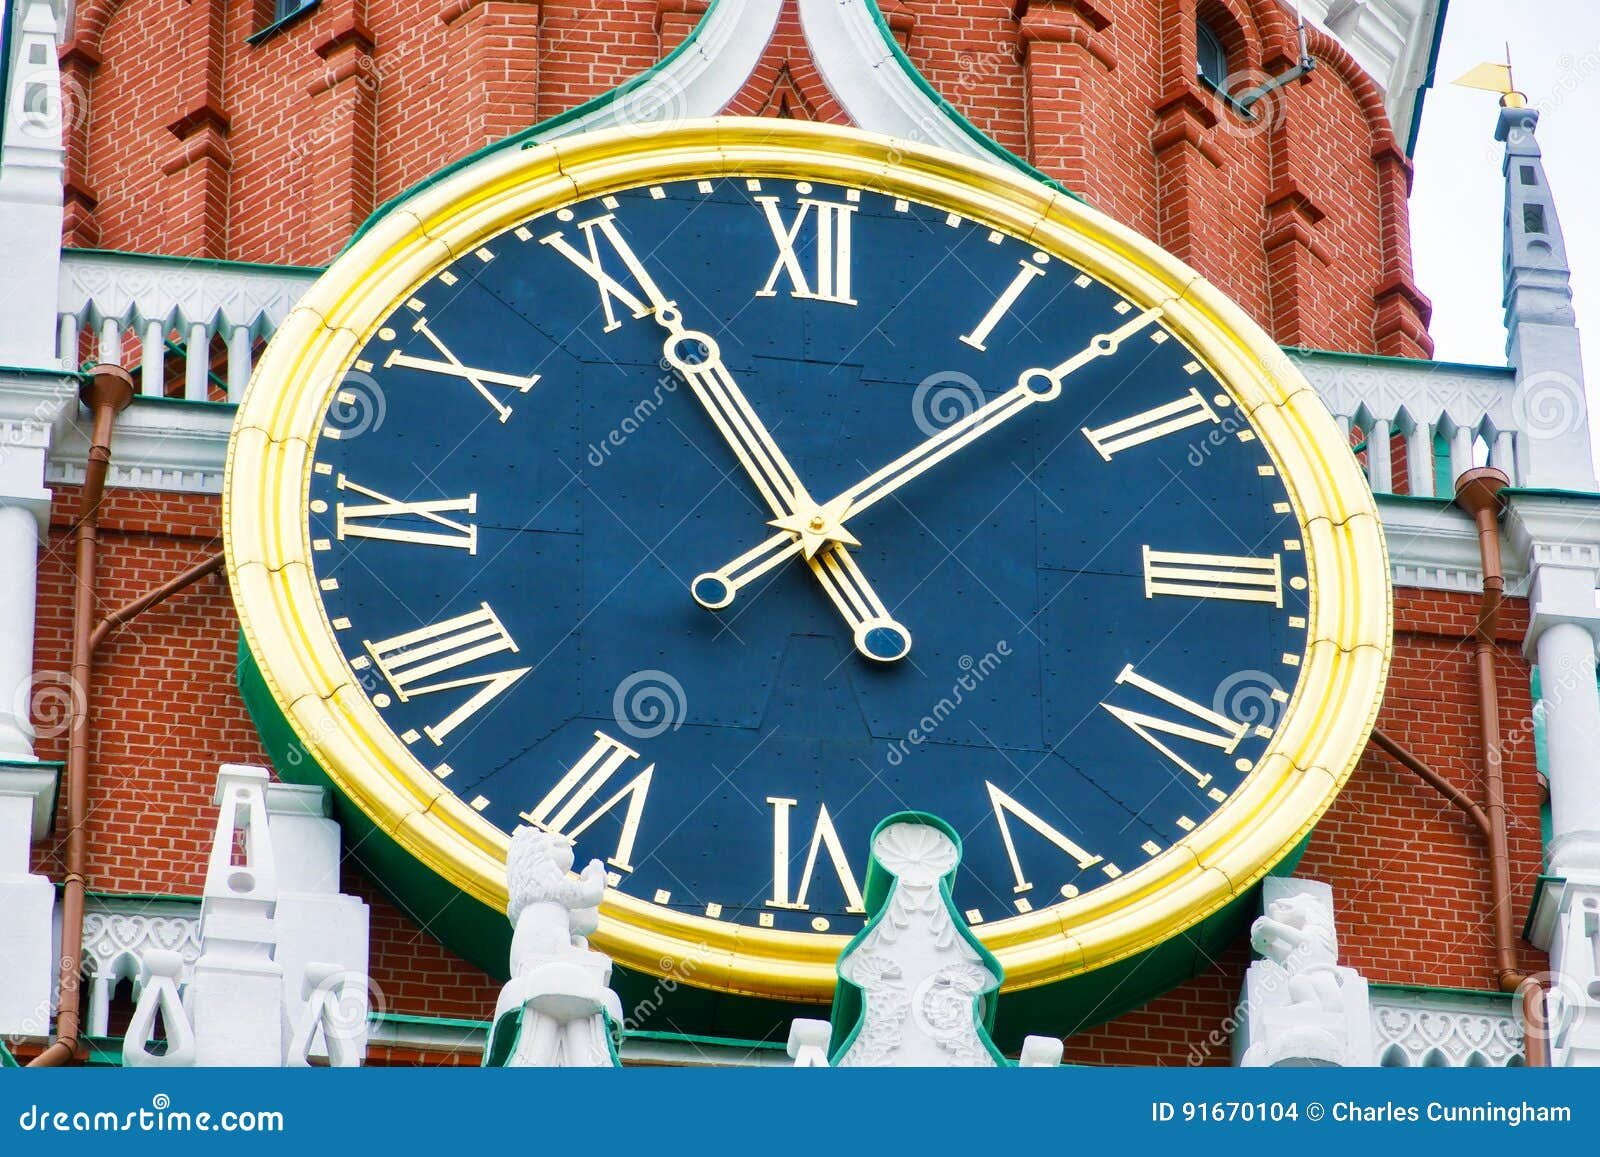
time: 11:07
